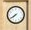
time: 7:39
